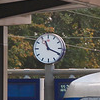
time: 11:19
